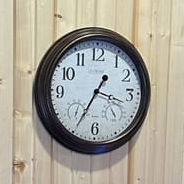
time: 3:34
